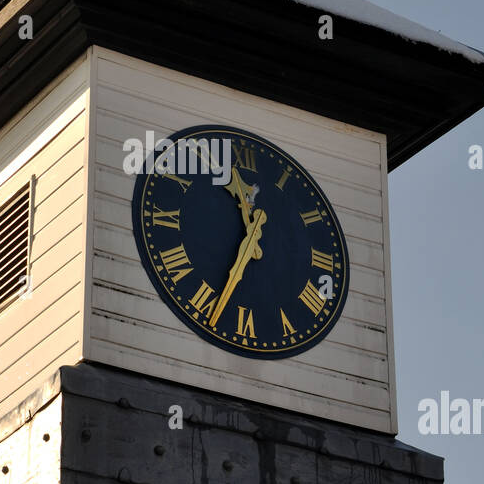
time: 11:33
